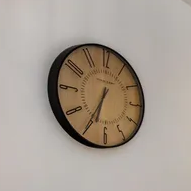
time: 6:34
